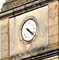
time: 4:21
